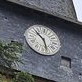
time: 10:28
